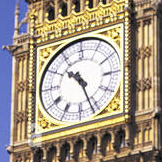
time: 10:26
